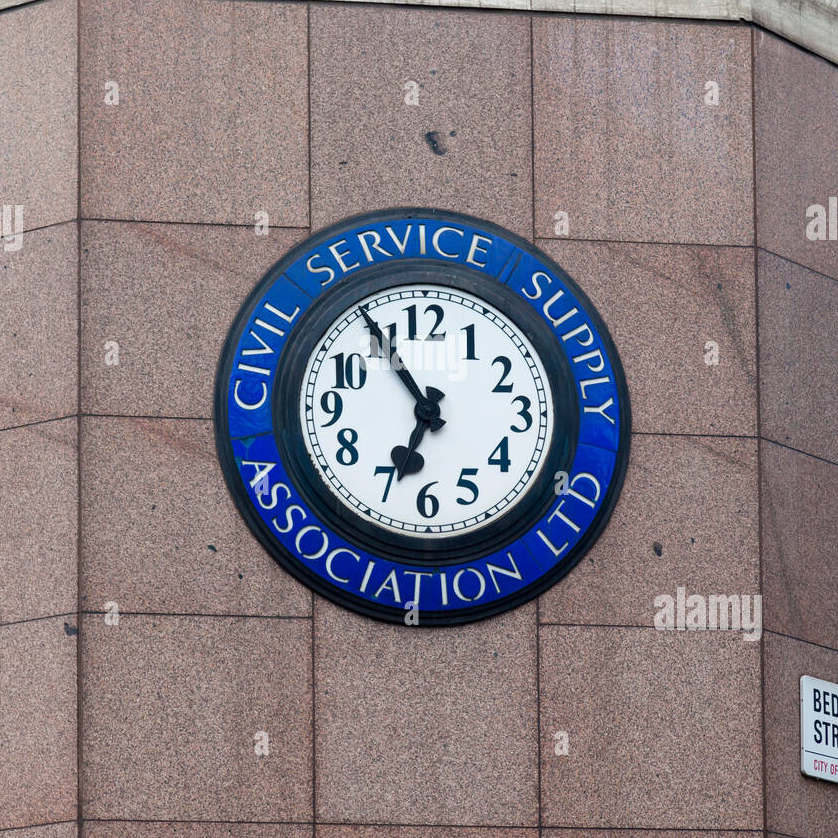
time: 6:54
